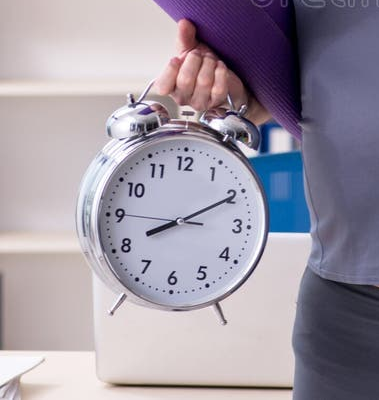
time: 8:10
